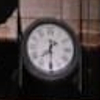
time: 7:29
